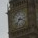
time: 7:15
